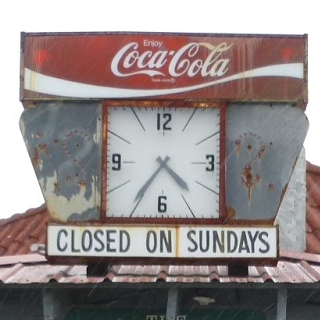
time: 4:35
